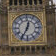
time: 12:34
